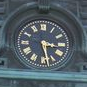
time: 3:28
